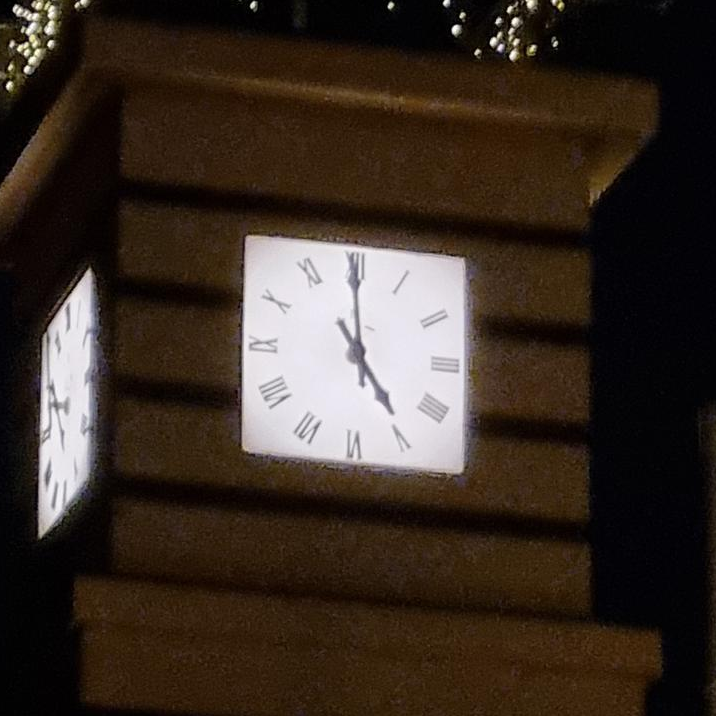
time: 4:59
